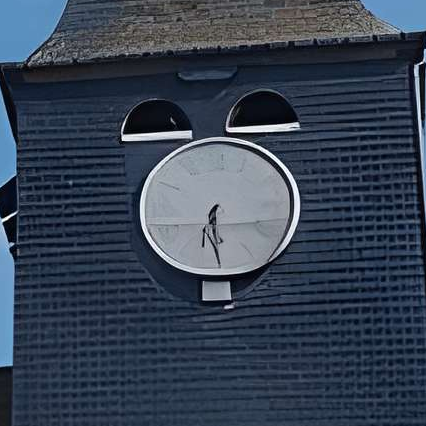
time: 6:28
